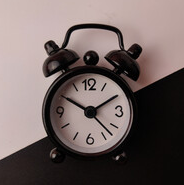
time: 1:50
